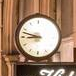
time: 8:47
